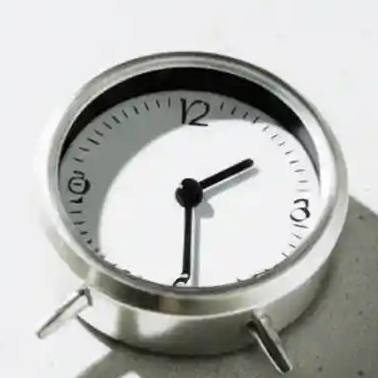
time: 1:29
